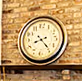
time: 8:23
